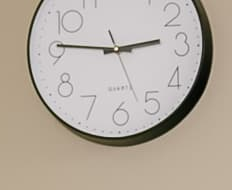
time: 2:46
